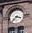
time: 3:37
